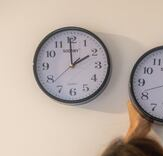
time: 1:59
